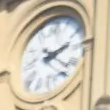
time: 2:21
